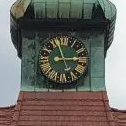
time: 2:57
